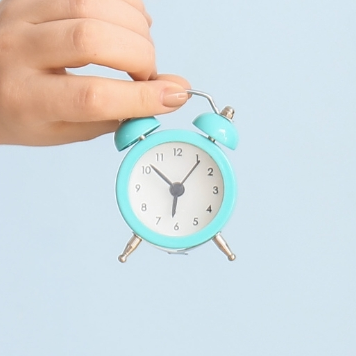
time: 6:06
